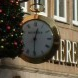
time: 12:30
